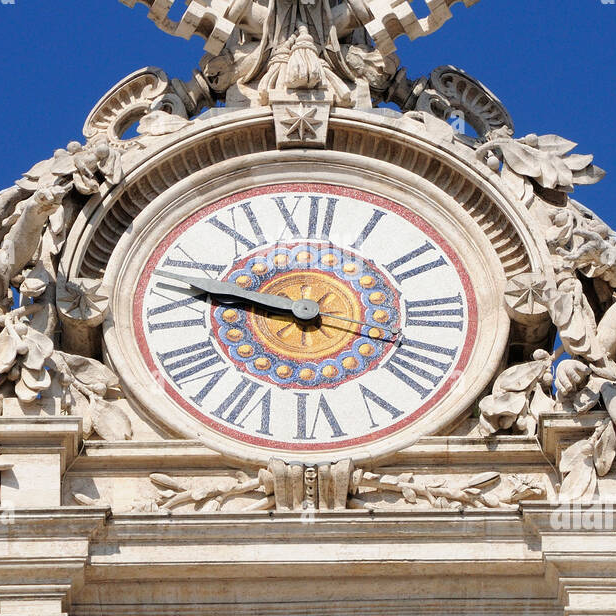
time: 9:47
